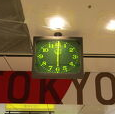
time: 6:00
